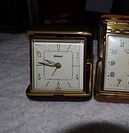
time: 9:45
